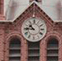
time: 10:45
